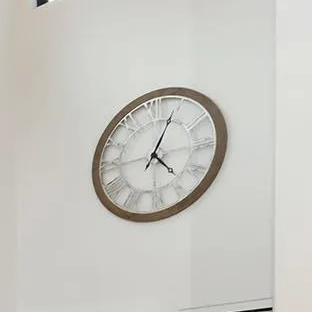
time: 4:04
